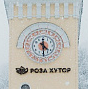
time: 4:29
